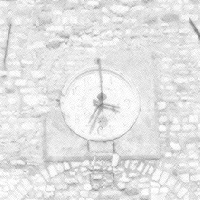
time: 3:34
